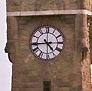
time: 4:44
